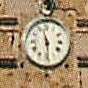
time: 11:28
